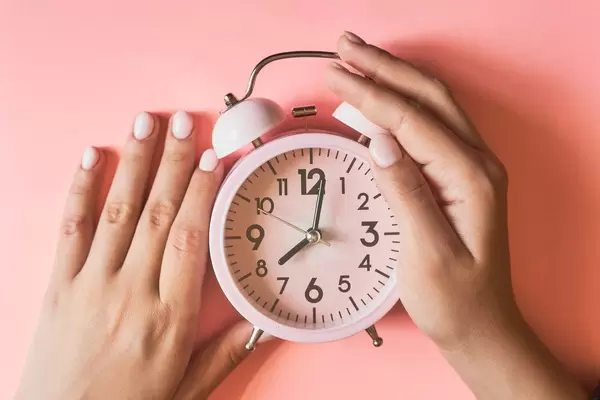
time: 8:01
